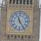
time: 11:24
